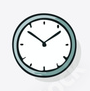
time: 10:08
